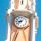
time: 8:38
